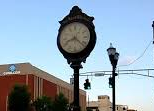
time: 8:21
